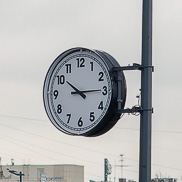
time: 10:14
